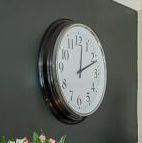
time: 12:11
